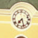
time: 7:27
